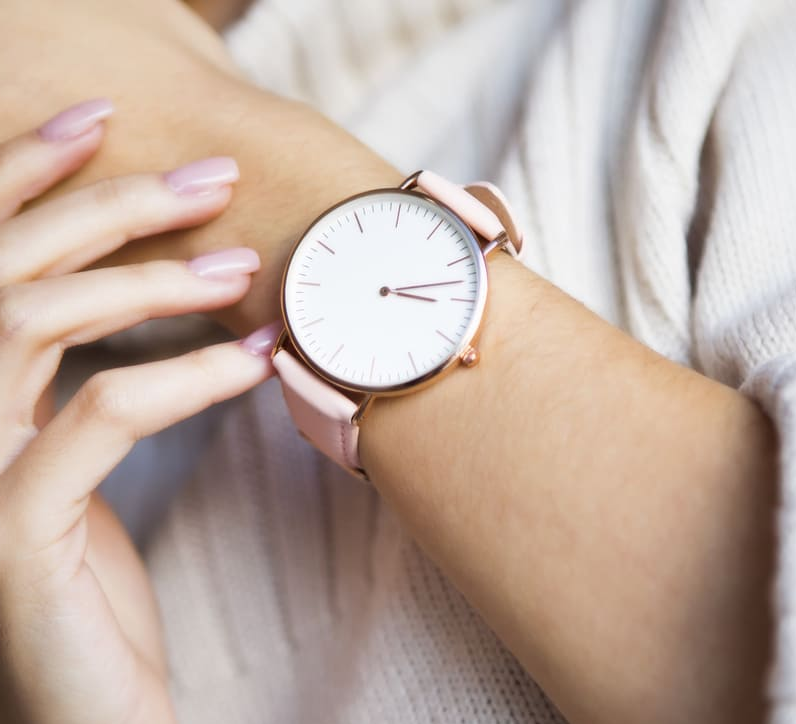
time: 3:12
